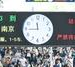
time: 11:44
